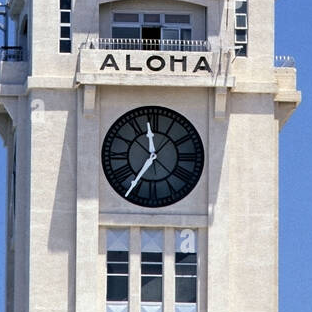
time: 11:35
